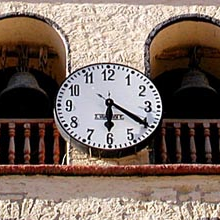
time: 6:20
